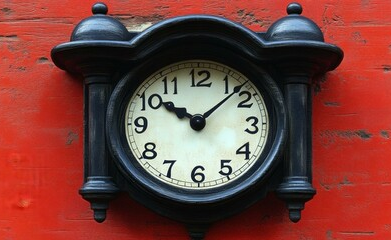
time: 10:07
